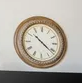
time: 10:21
